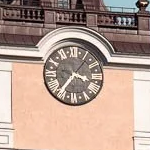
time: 3:36
